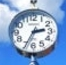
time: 2:34
